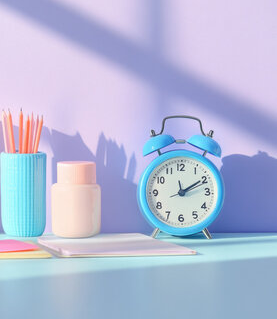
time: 2:09
